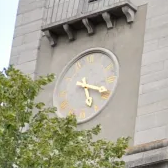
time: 5:18
